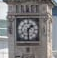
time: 1:29
